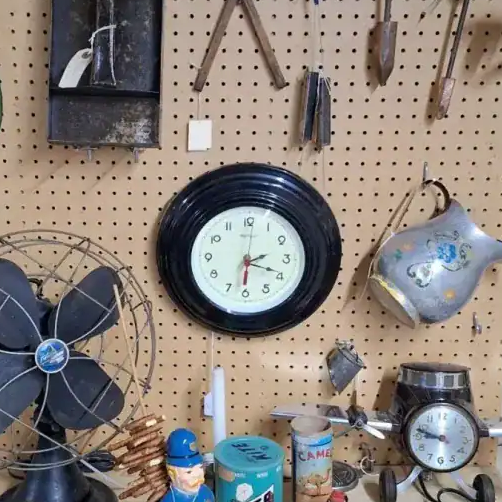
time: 2:18
